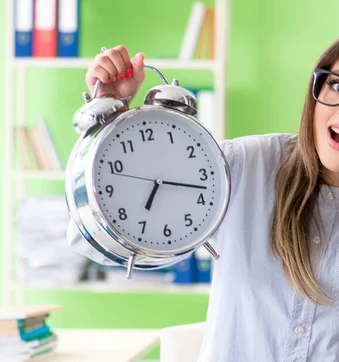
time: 7:17
